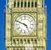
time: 4:49
